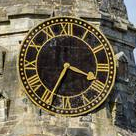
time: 3:34
